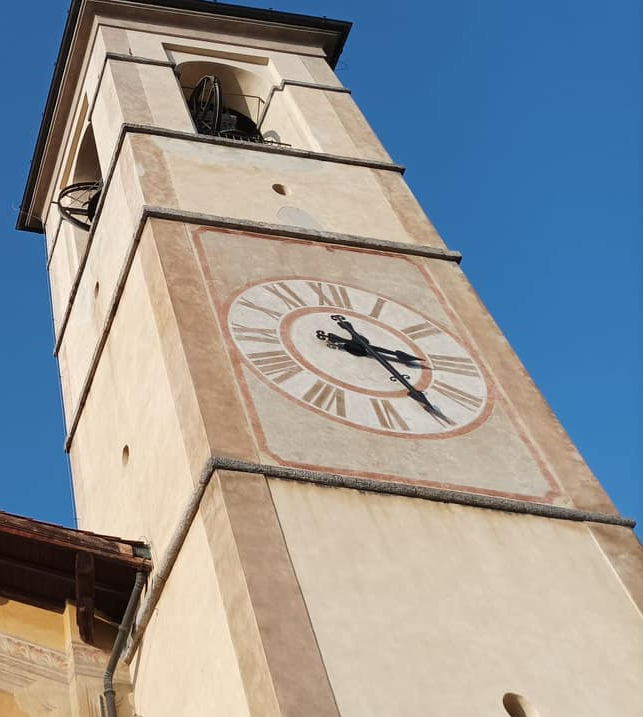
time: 3:24
